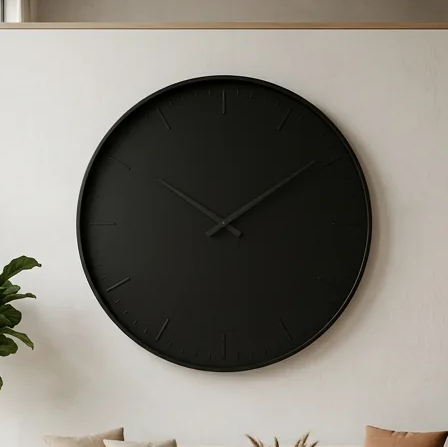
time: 10:09
